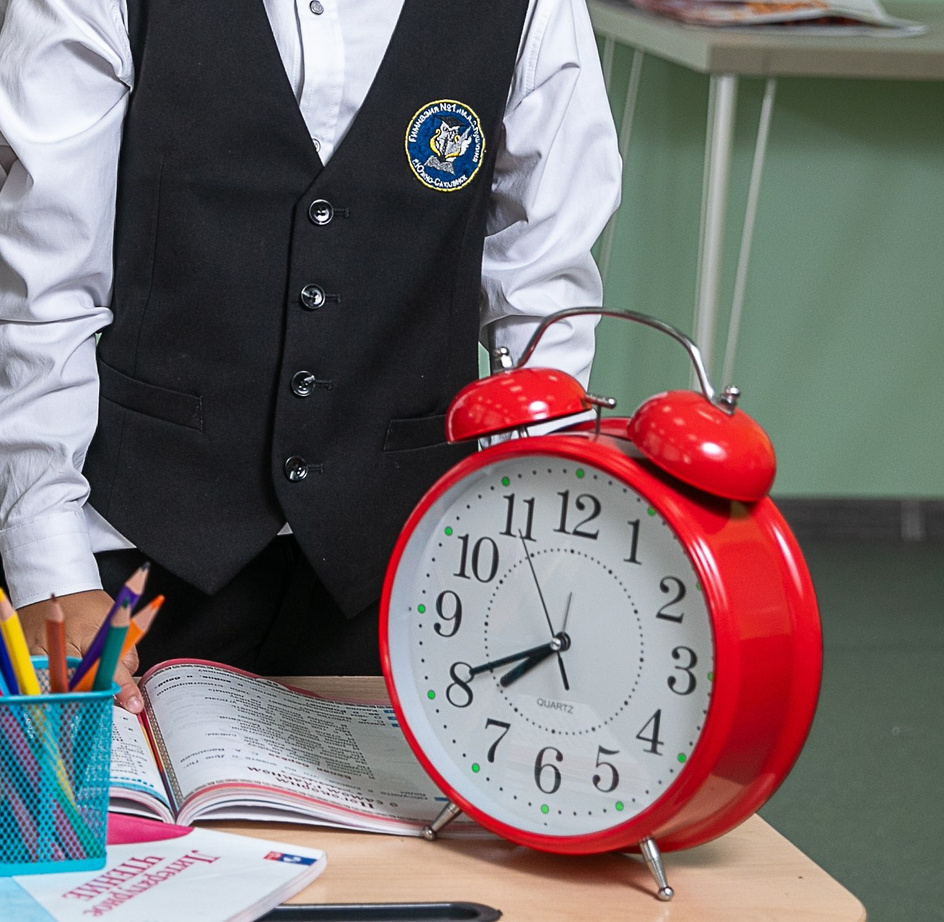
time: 7:40
